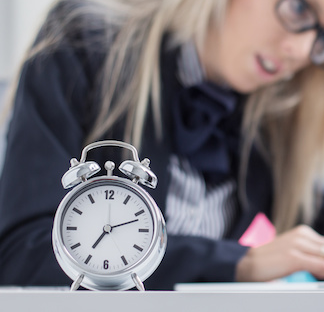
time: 7:11
